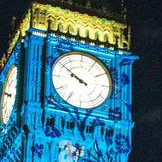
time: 9:50
